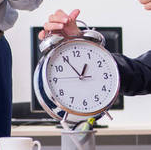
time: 12:54
